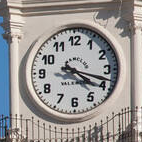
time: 4:17
